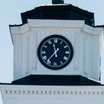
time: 11:36
